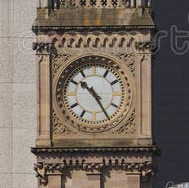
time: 10:24
